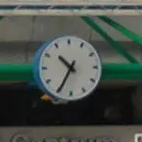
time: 10:34
